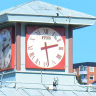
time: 2:28
